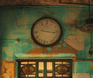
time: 9:16
